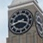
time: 3:40
